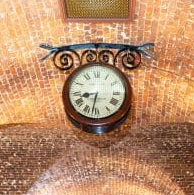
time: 8:32
